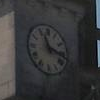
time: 11:17
